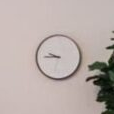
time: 9:45
